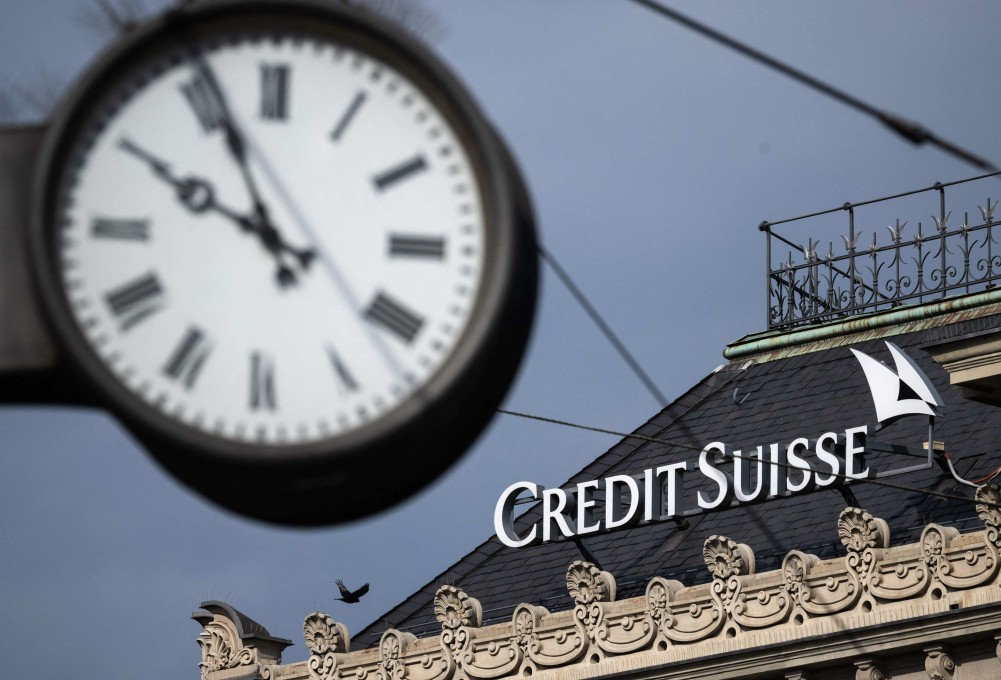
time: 9:55
